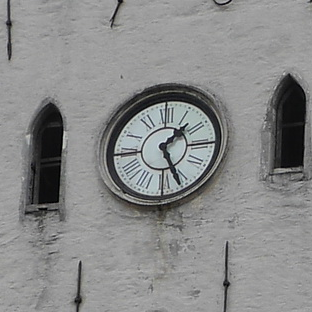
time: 1:26
